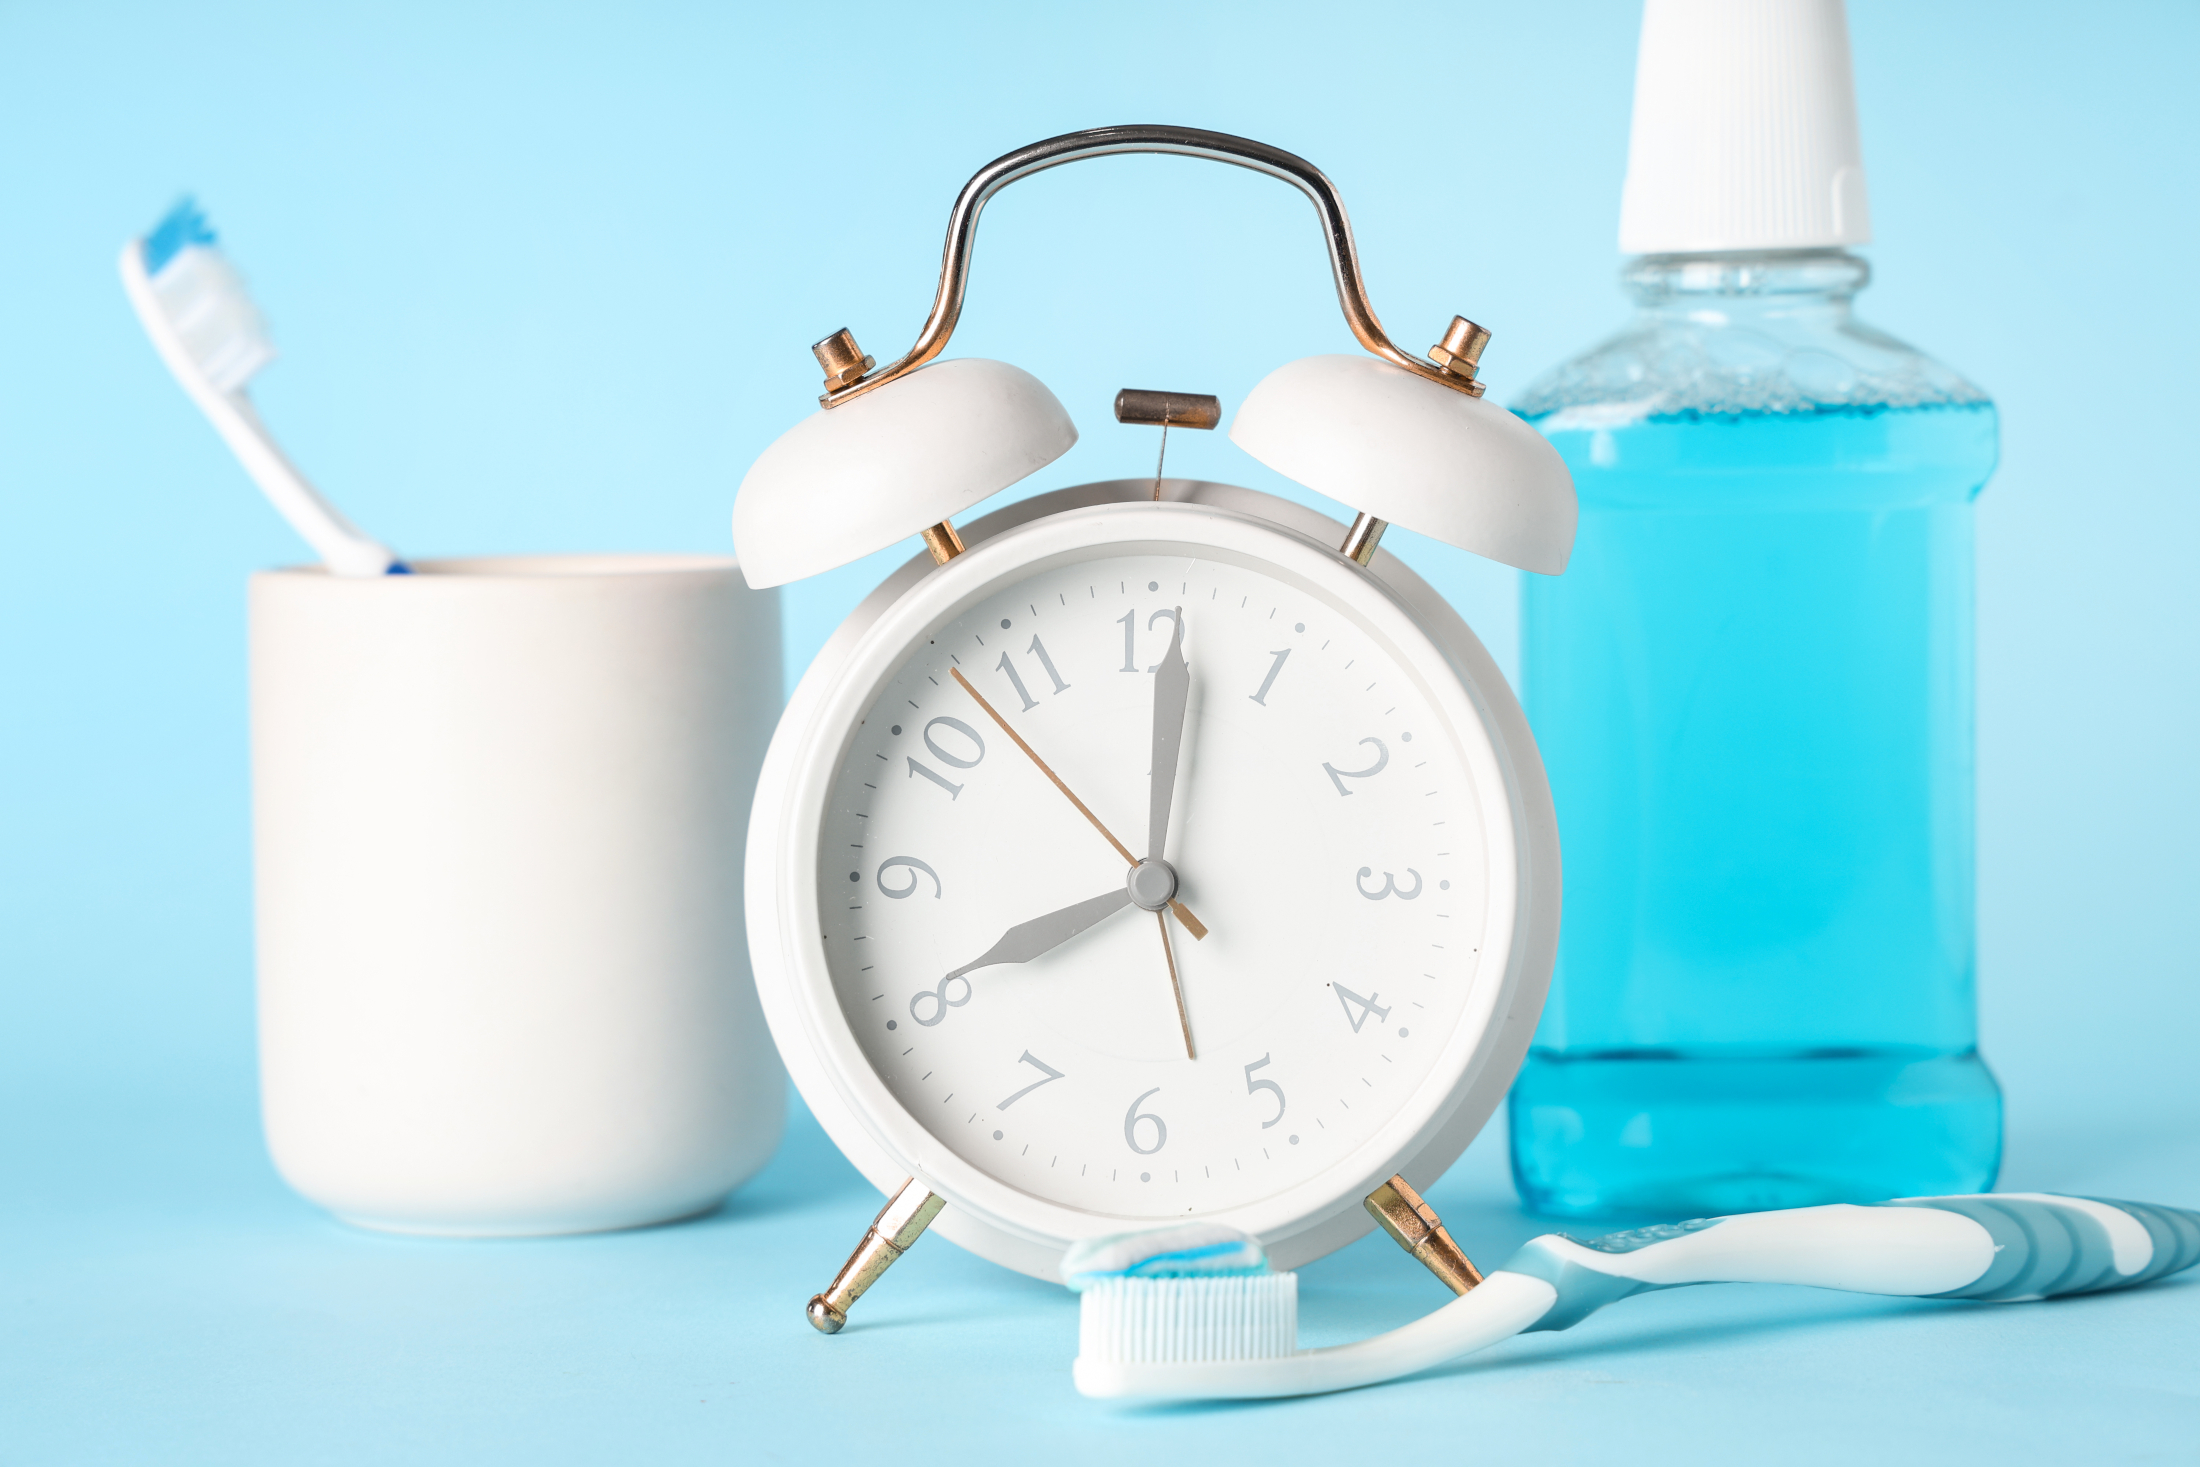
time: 8:00
